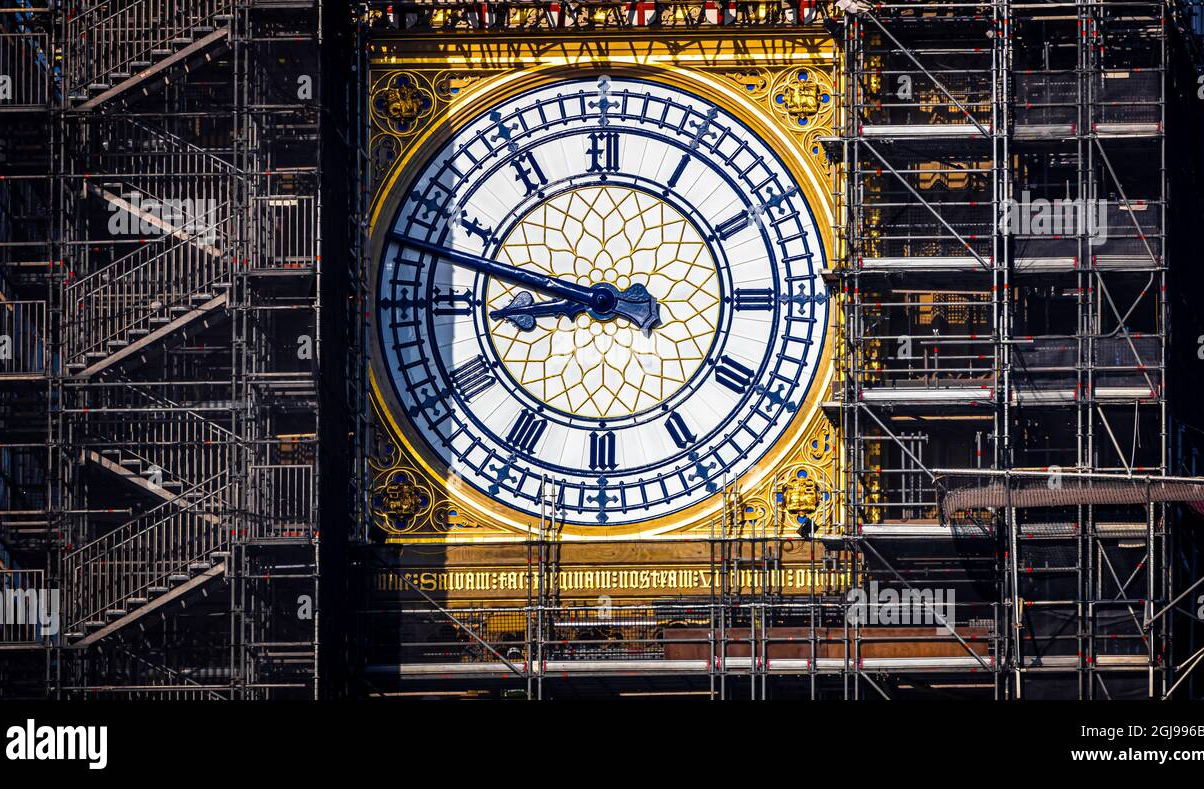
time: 8:47
